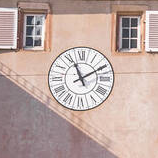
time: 11:10
